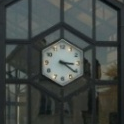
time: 3:21
